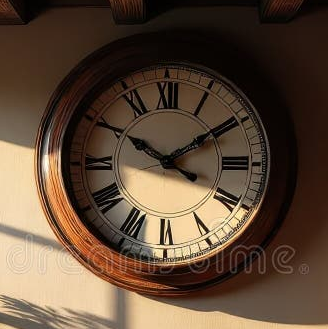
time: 1:50
